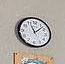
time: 11:07
